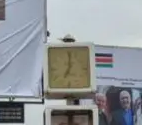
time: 7:00
